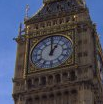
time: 1:00
